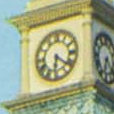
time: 6:21
